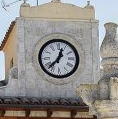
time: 12:37
